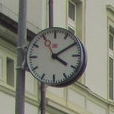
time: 4:09
